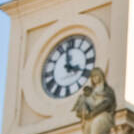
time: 3:58
